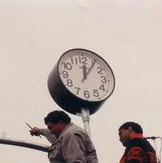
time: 12:05
